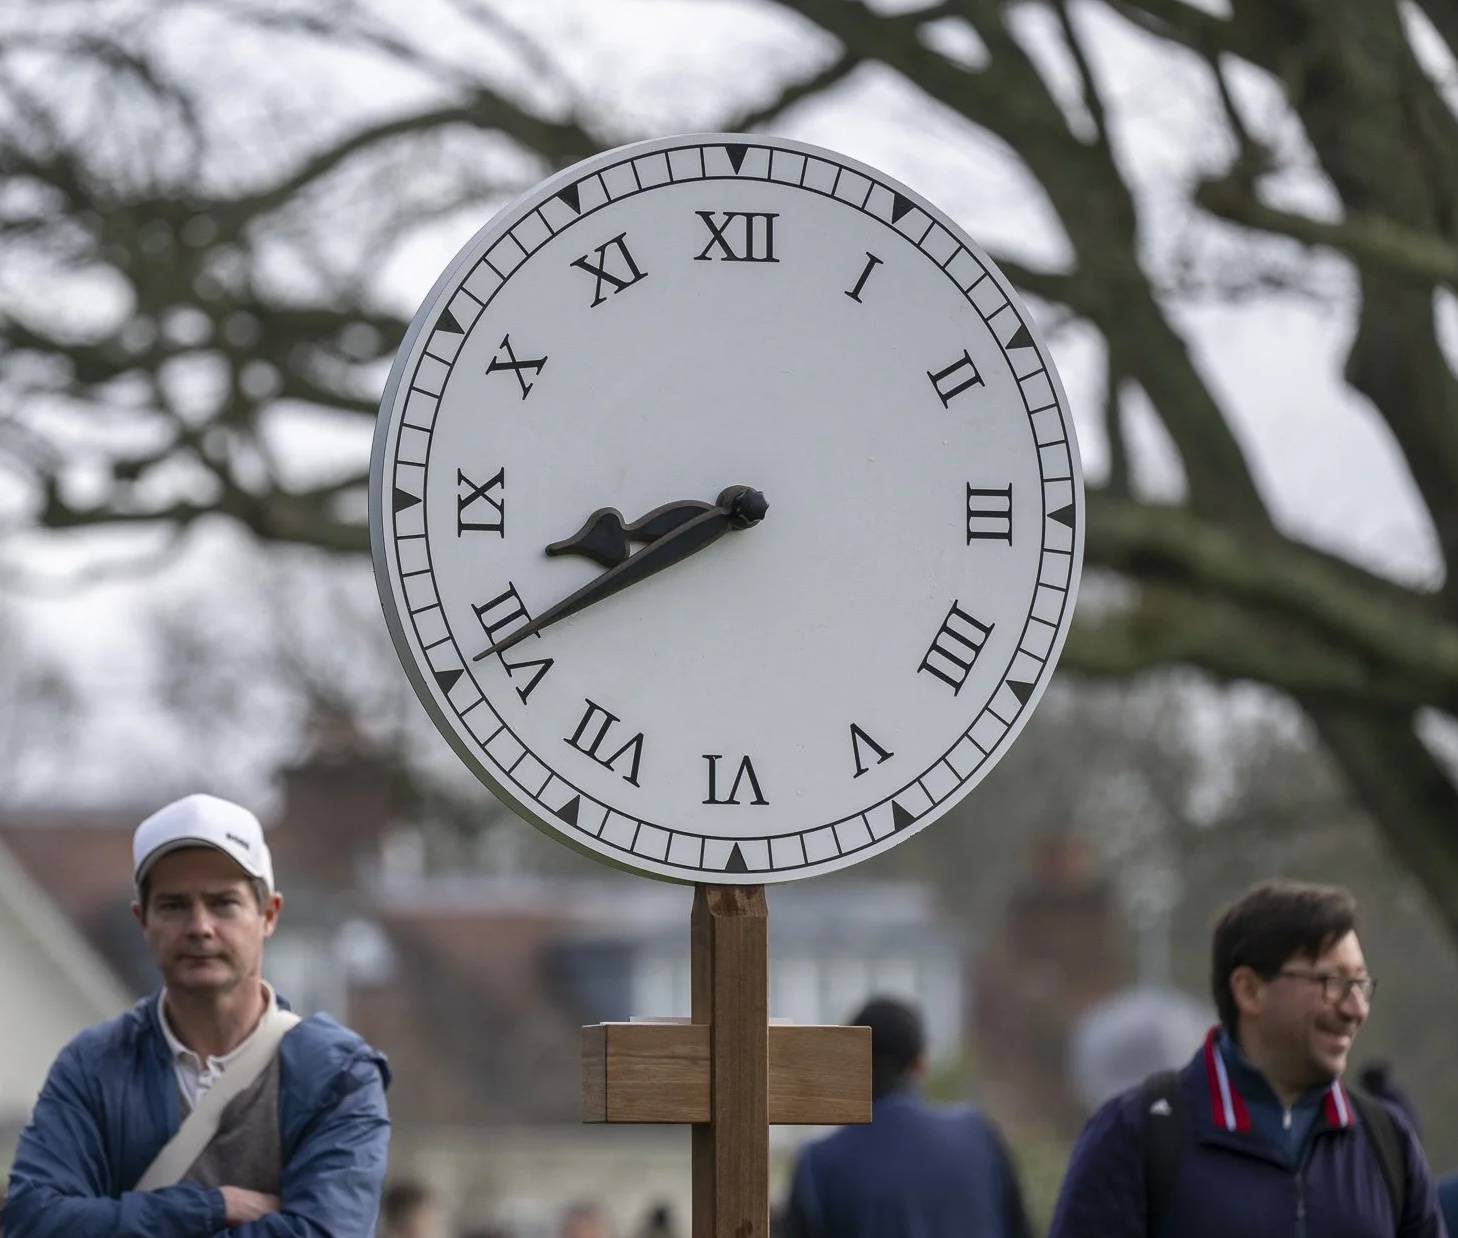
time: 8:40
